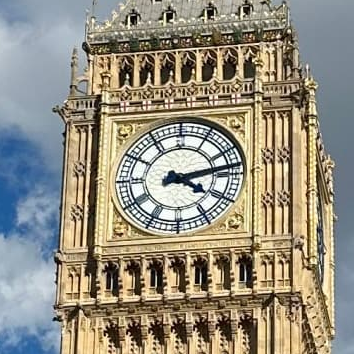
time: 4:12
